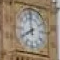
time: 7:58
